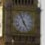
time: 4:57
